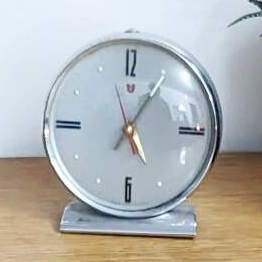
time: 5:05
